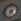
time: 7:23
